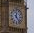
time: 12:23
